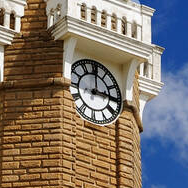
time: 2:59
